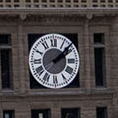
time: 2:08
